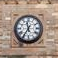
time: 11:35
